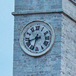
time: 8:32
